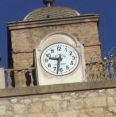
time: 9:32
